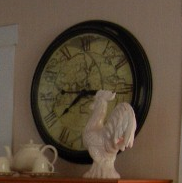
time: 8:38
